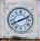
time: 8:11
